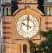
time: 10:00
